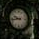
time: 9:43
